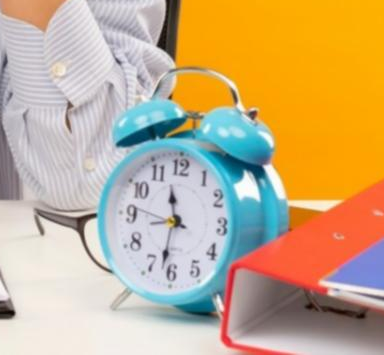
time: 11:31
